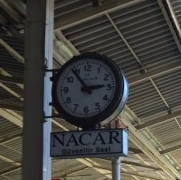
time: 2:53
